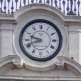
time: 9:41
